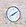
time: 8:09
